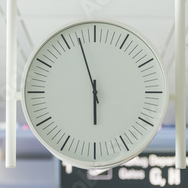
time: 5:57
